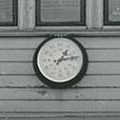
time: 1:13
